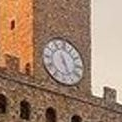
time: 5:26
